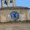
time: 5:03
